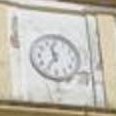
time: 11:35
